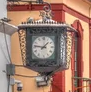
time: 1:46
